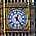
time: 12:23
